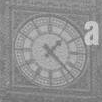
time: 1:22
